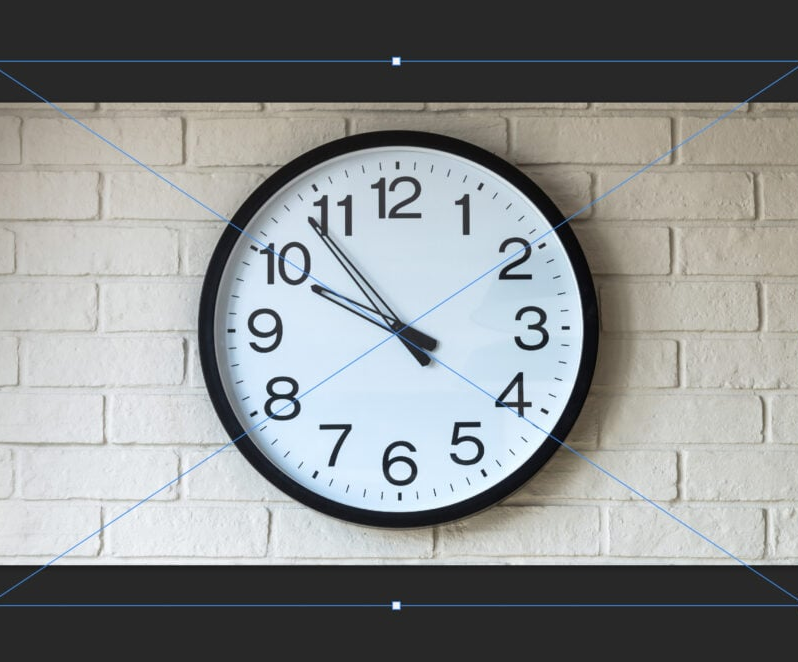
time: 9:53
